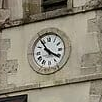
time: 3:54
